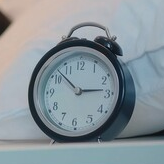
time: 2:52
